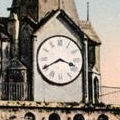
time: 3:40
